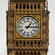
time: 1:15
